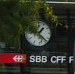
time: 1:22
